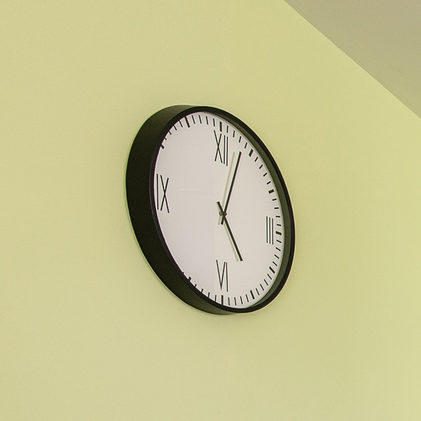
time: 5:03
